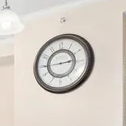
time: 2:44
